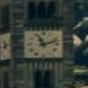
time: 11:12
